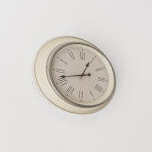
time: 12:42
